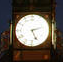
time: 5:12
